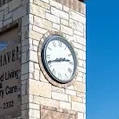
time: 2:41
